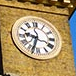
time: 9:33
